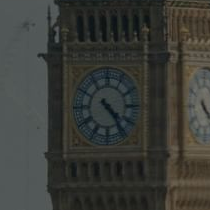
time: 4:23
